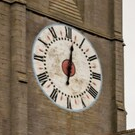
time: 6:01
